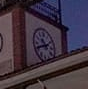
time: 10:41
